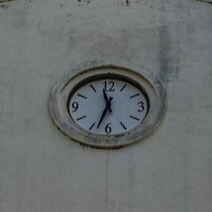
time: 11:33
